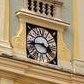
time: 3:43
